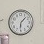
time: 6:07
